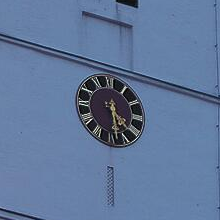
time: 4:28
